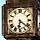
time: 6:21
